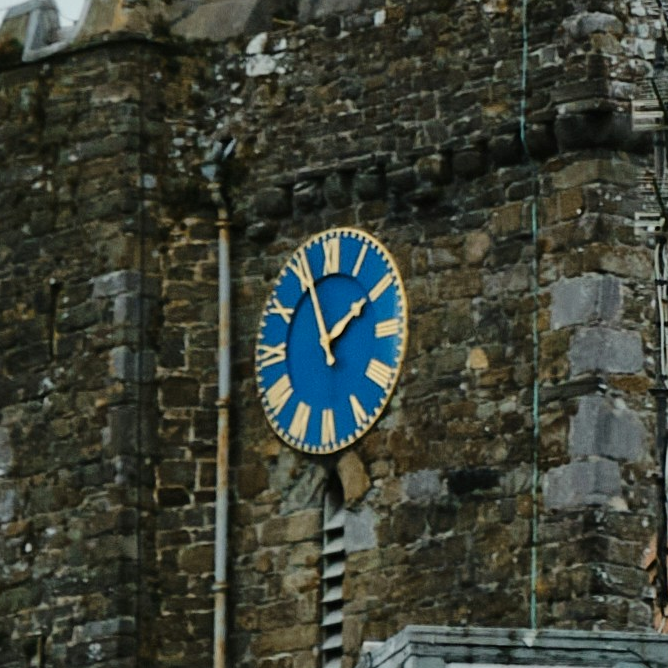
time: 1:56
